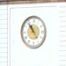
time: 10:53
